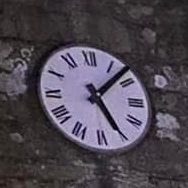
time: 5:07
